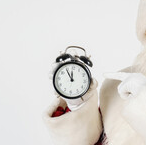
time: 11:54
